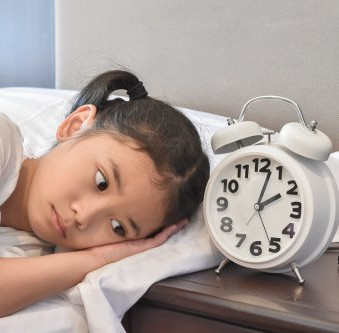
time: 2:02
